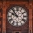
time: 9:53
